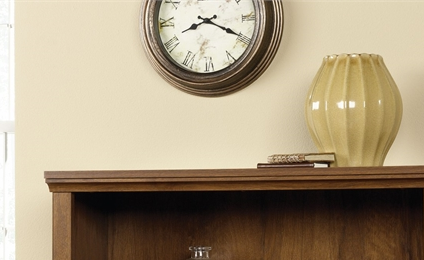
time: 8:19
